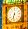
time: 6:32
